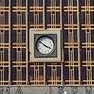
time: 3:51
